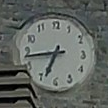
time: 6:43
